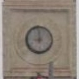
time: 8:59
